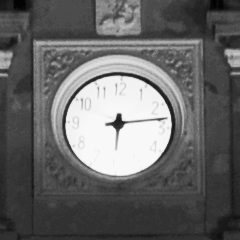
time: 6:13
